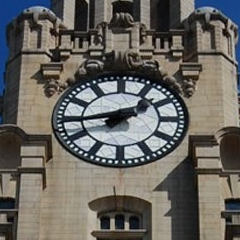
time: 1:43
